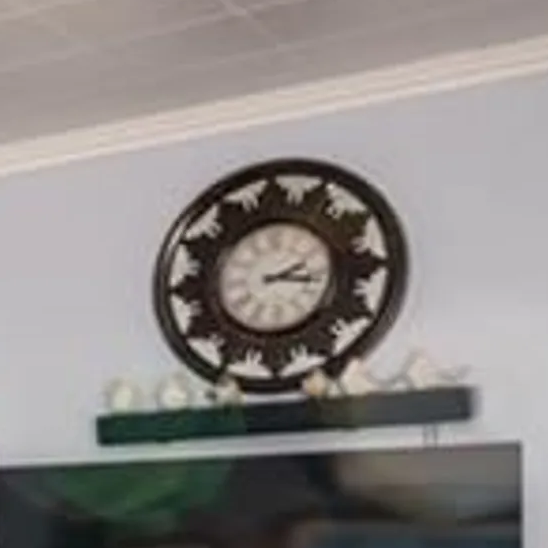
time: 2:15
